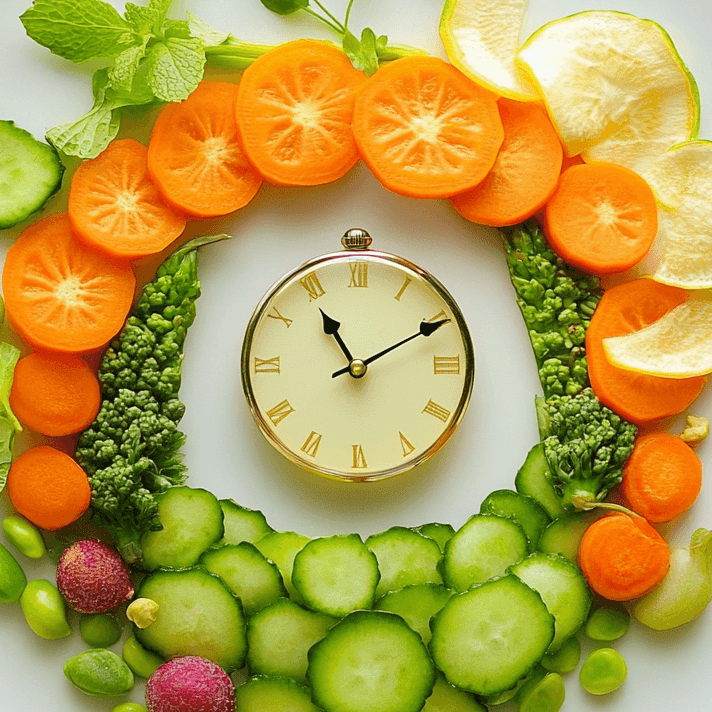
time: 11:10
